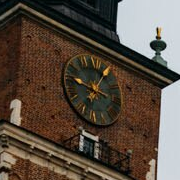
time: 12:47
